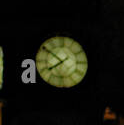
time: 7:50
